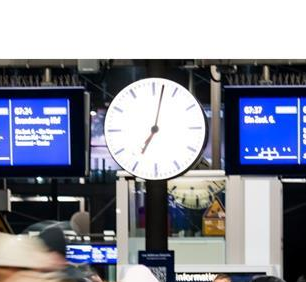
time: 7:02
